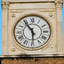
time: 5:54
